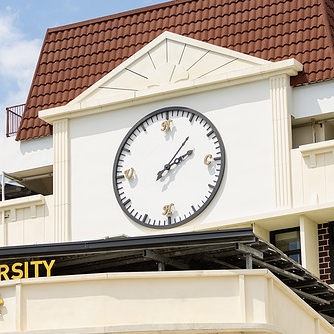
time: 2:06
